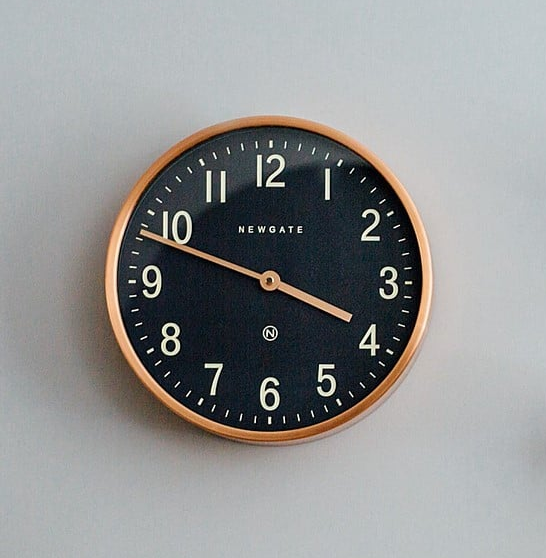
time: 3:48
